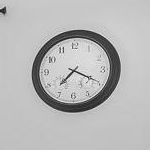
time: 7:19
